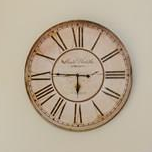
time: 5:45
